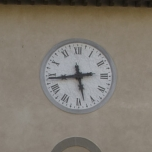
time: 5:43
